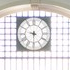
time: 9:30
